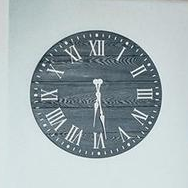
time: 6:28
